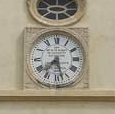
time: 7:27
